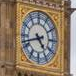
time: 4:42
